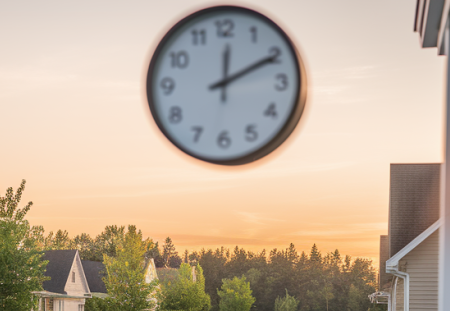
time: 12:10
